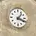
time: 1:18
